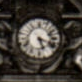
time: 5:18
